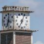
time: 7:04
